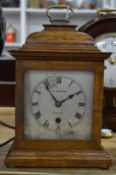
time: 1:54
